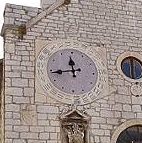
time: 11:43
